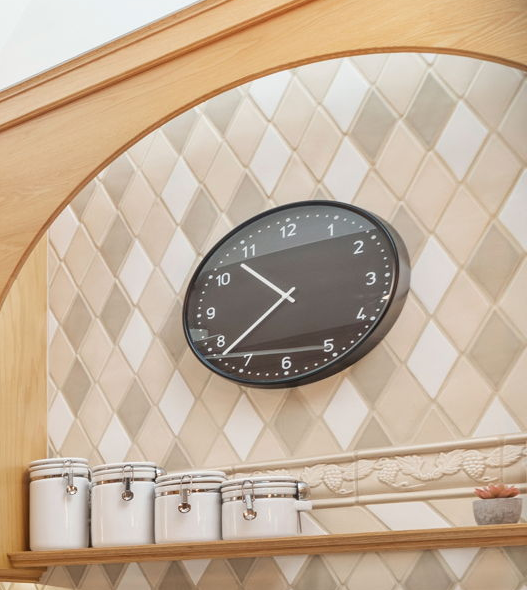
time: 10:38
